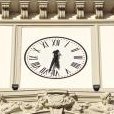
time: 5:32
